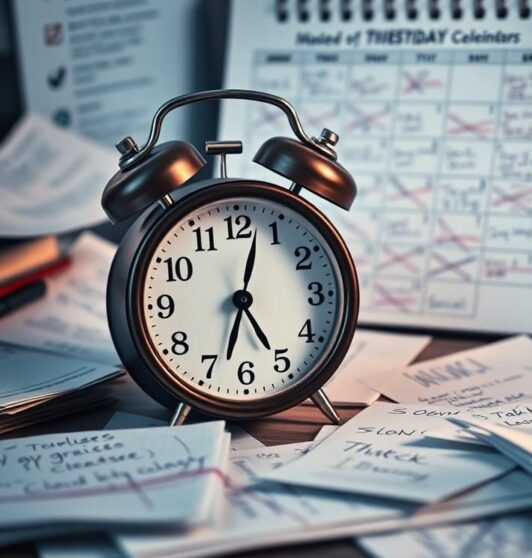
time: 5:02
